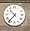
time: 10:36
